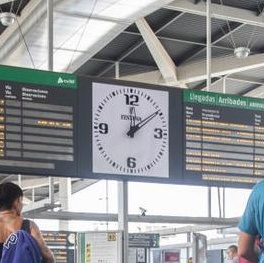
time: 12:09
